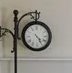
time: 4:24
